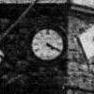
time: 4:19
